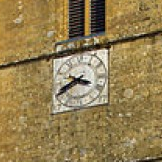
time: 3:40
